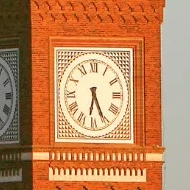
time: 6:25
